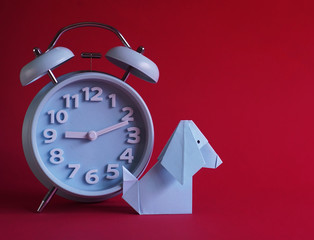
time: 9:11
